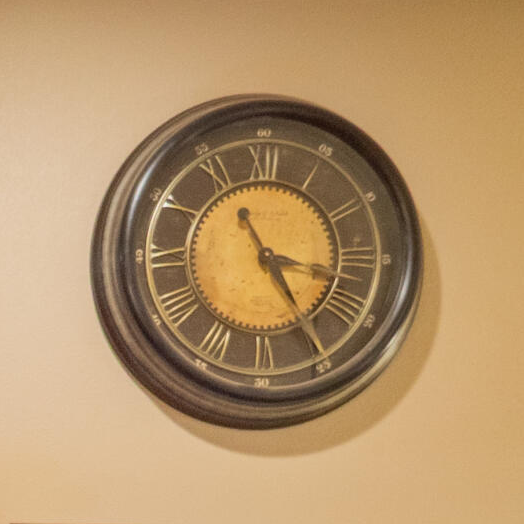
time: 3:24
